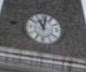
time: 11:01
